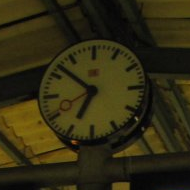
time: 6:51
